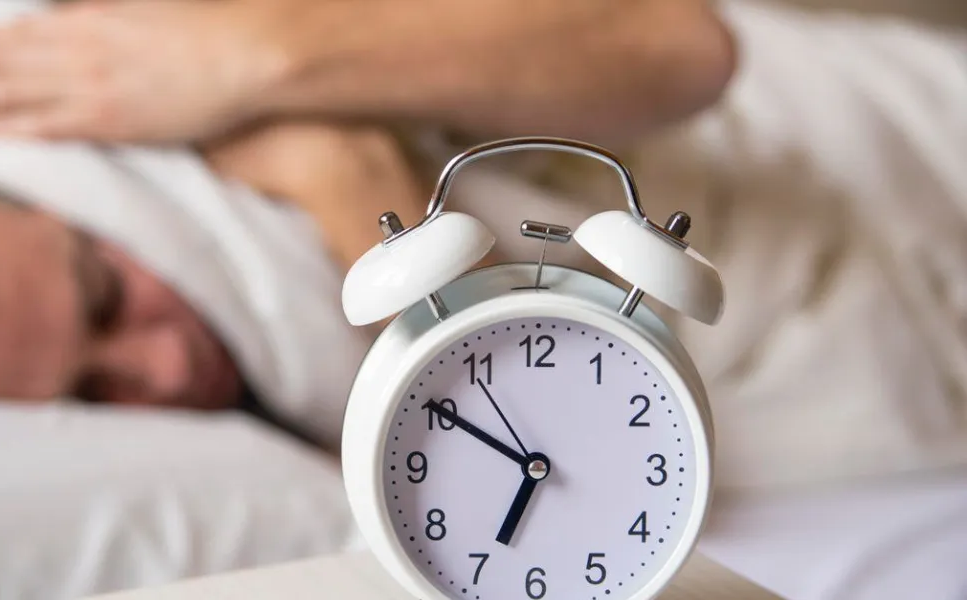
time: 6:50
